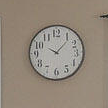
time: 10:07
